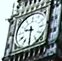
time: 9:30
